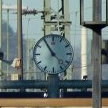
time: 10:54
